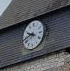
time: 9:42
